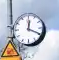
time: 12:19
